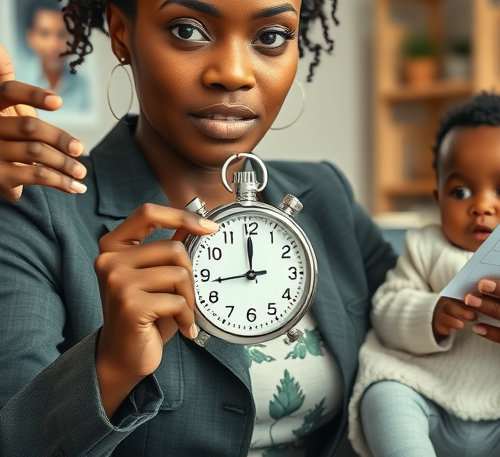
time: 11:43
